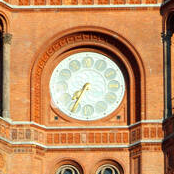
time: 7:34
